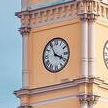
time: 3:55
